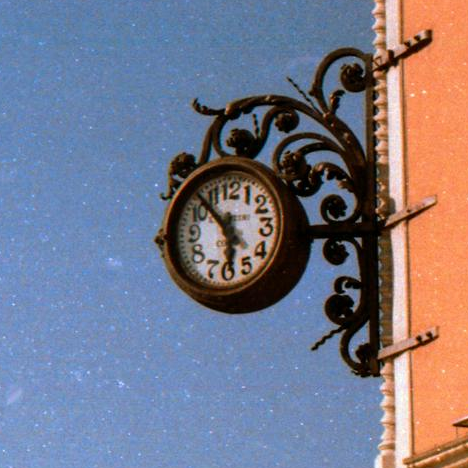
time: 5:52
